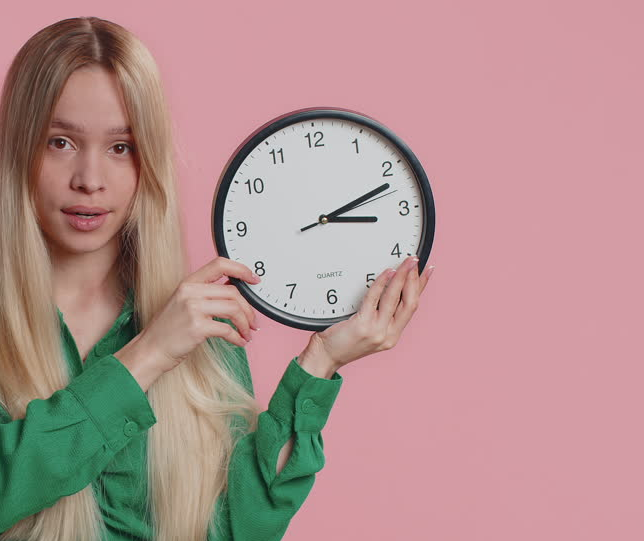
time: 3:11
